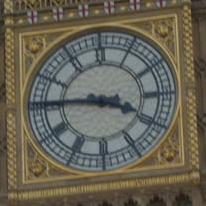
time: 3:45
